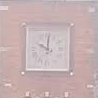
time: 10:00
